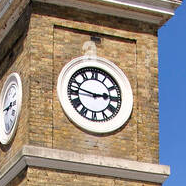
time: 2:46
